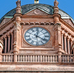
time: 12:21
